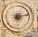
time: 7:12
